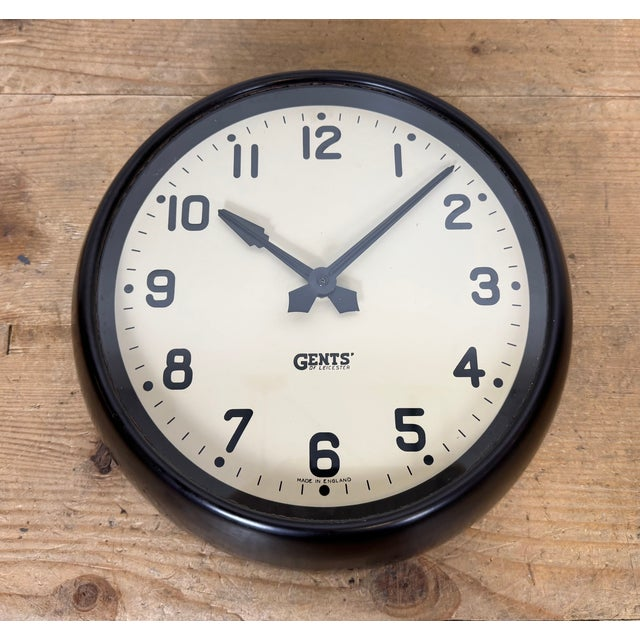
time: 10:07
